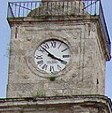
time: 3:52
